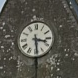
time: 3:29
